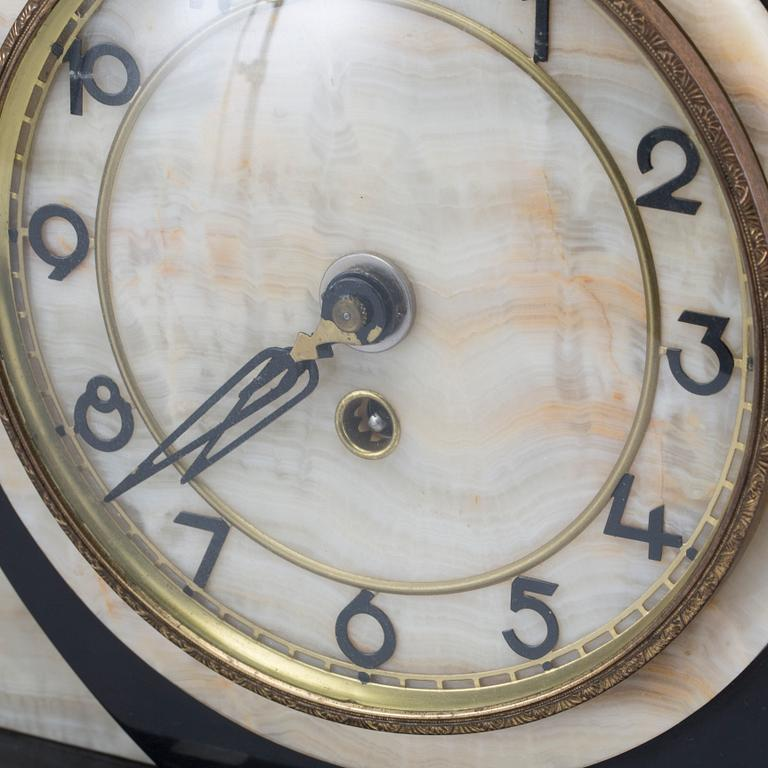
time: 7:37
